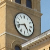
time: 4:42
